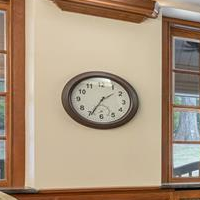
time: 1:34
